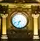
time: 6:41
